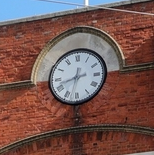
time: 2:42
